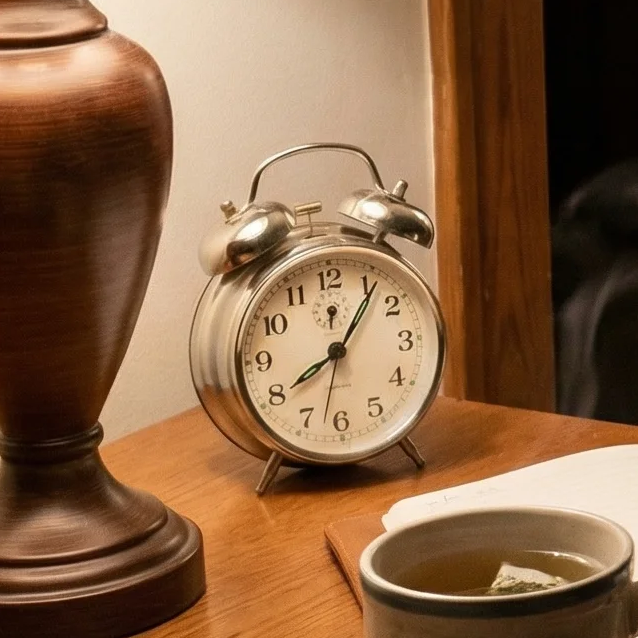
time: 8:06
